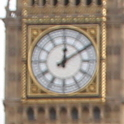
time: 12:09
